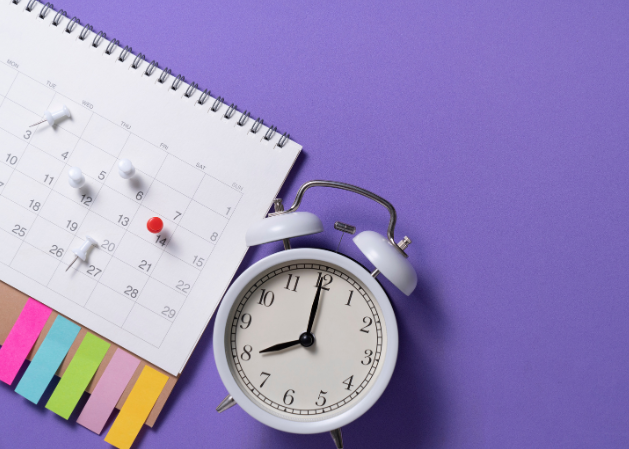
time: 7:59
